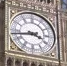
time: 3:43
